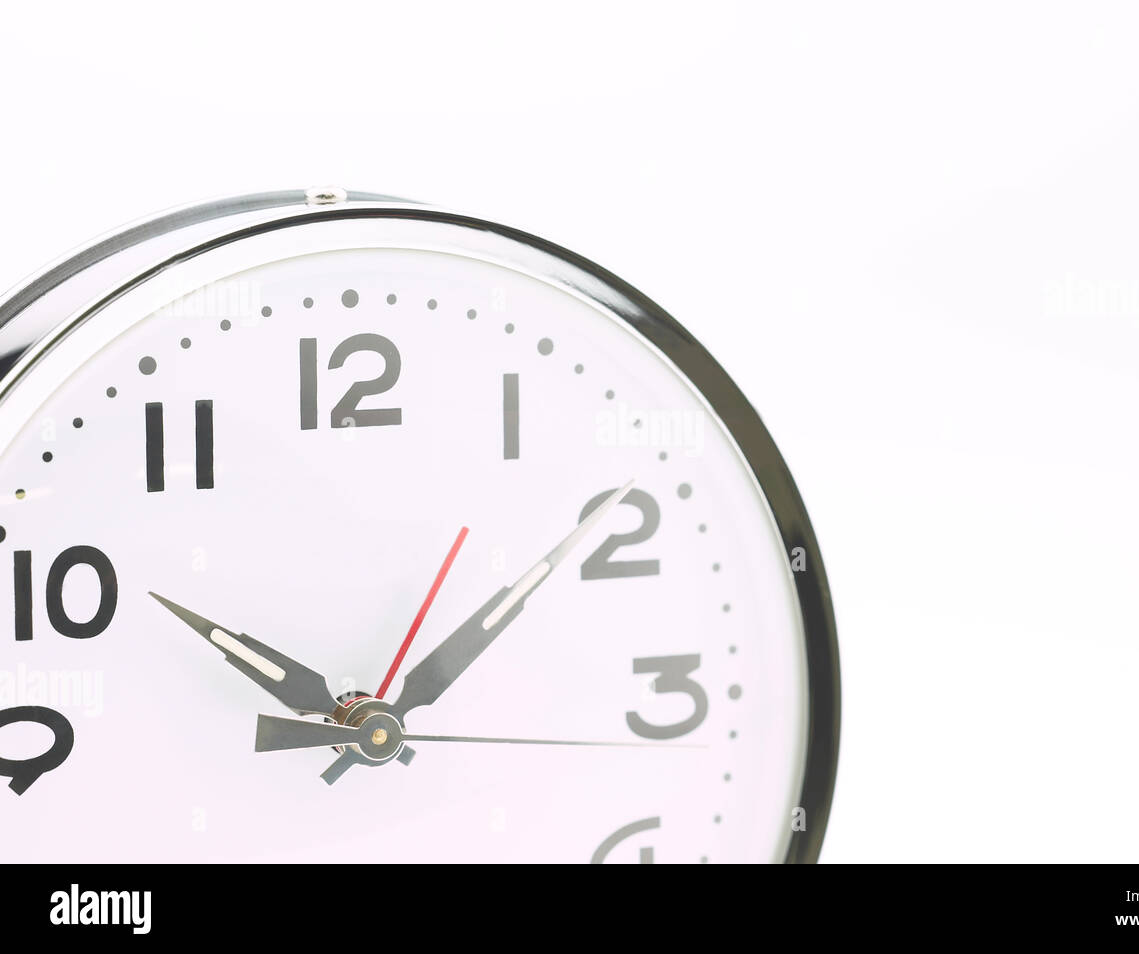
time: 10:09
